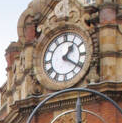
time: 1:20
